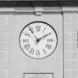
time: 1:54
